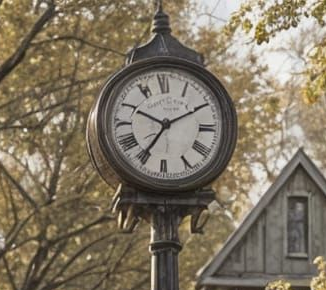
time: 7:10
